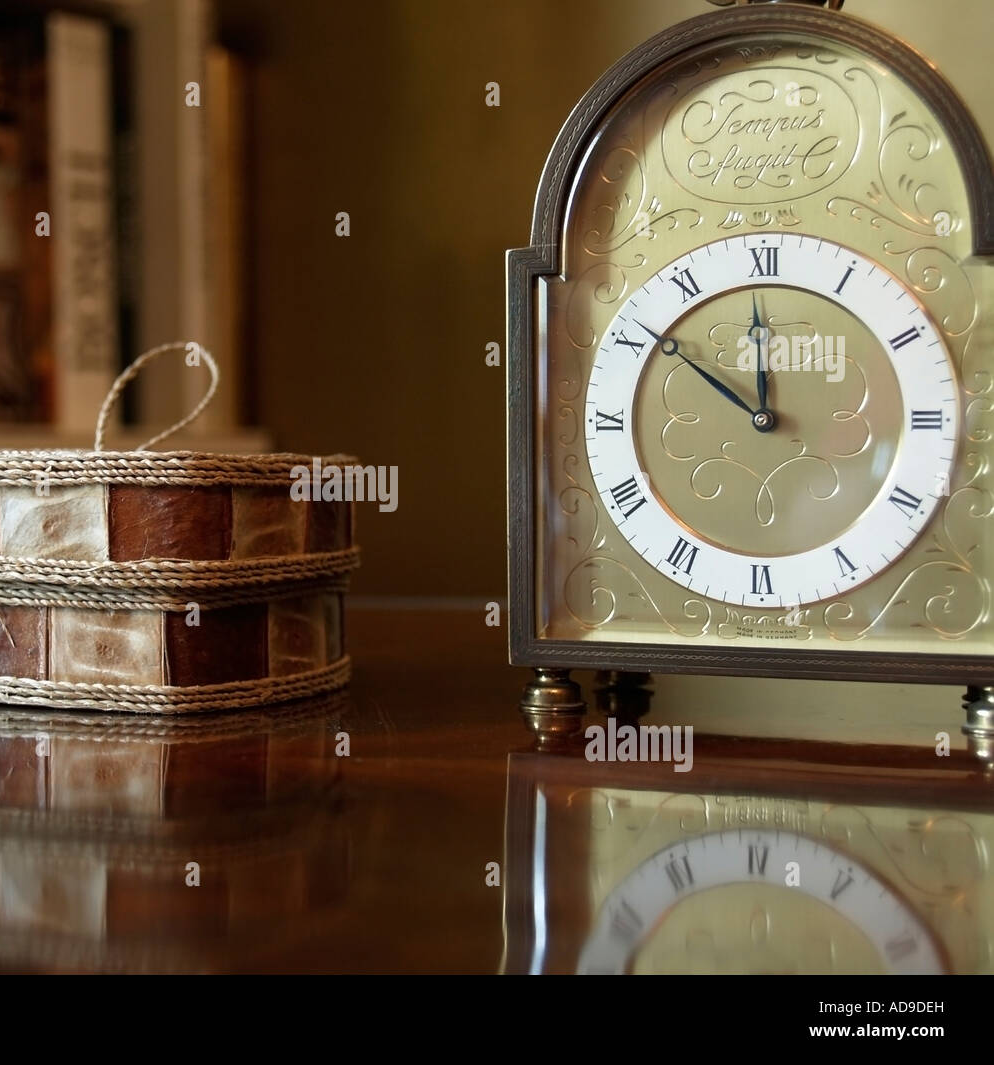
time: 11:50
